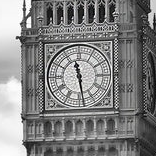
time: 11:28
